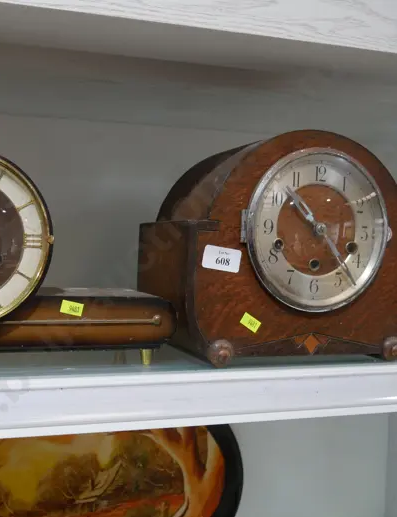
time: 10:22
